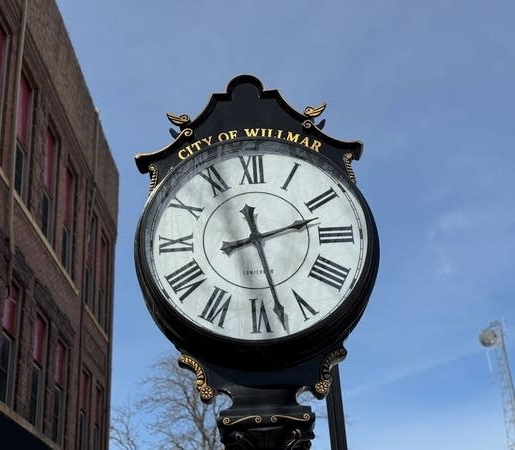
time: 2:27
